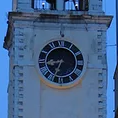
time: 8:33
